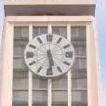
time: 5:29
